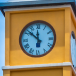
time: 11:52
